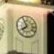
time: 7:55
